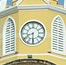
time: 8:30
